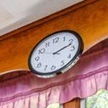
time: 2:11
